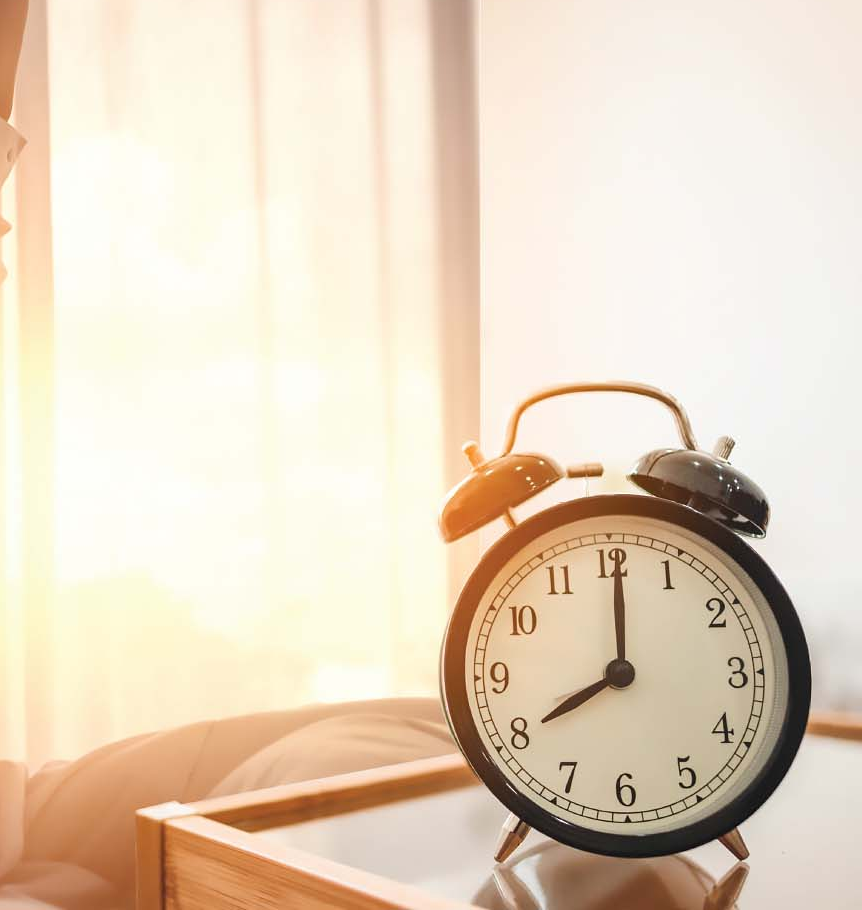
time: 8:00
